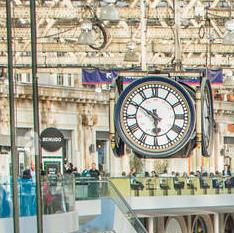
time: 5:50
